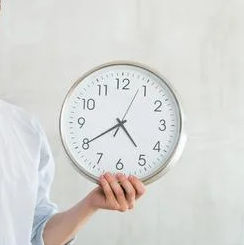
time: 4:40
